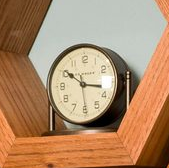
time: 10:17
